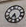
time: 7:28
